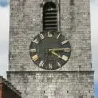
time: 4:14
